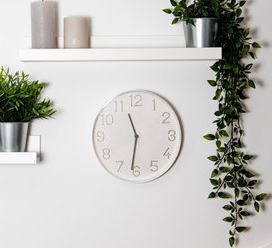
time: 11:31
